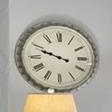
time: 9:48
